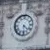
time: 4:29
